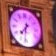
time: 7:31
